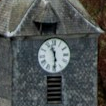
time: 11:29
